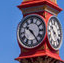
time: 10:24
